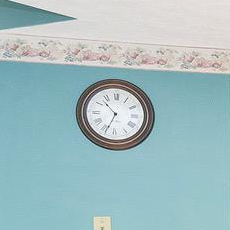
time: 10:33
